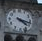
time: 4:17
